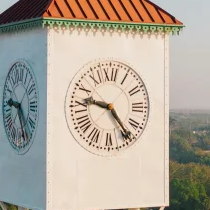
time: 9:23
